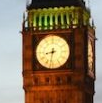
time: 8:32
